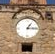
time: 1:16
